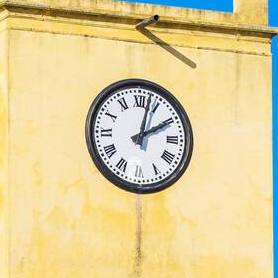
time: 2:02
